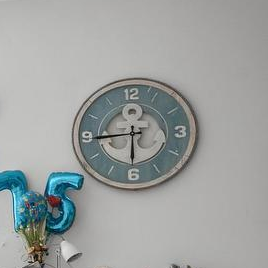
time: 5:44
